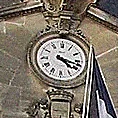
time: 4:17
